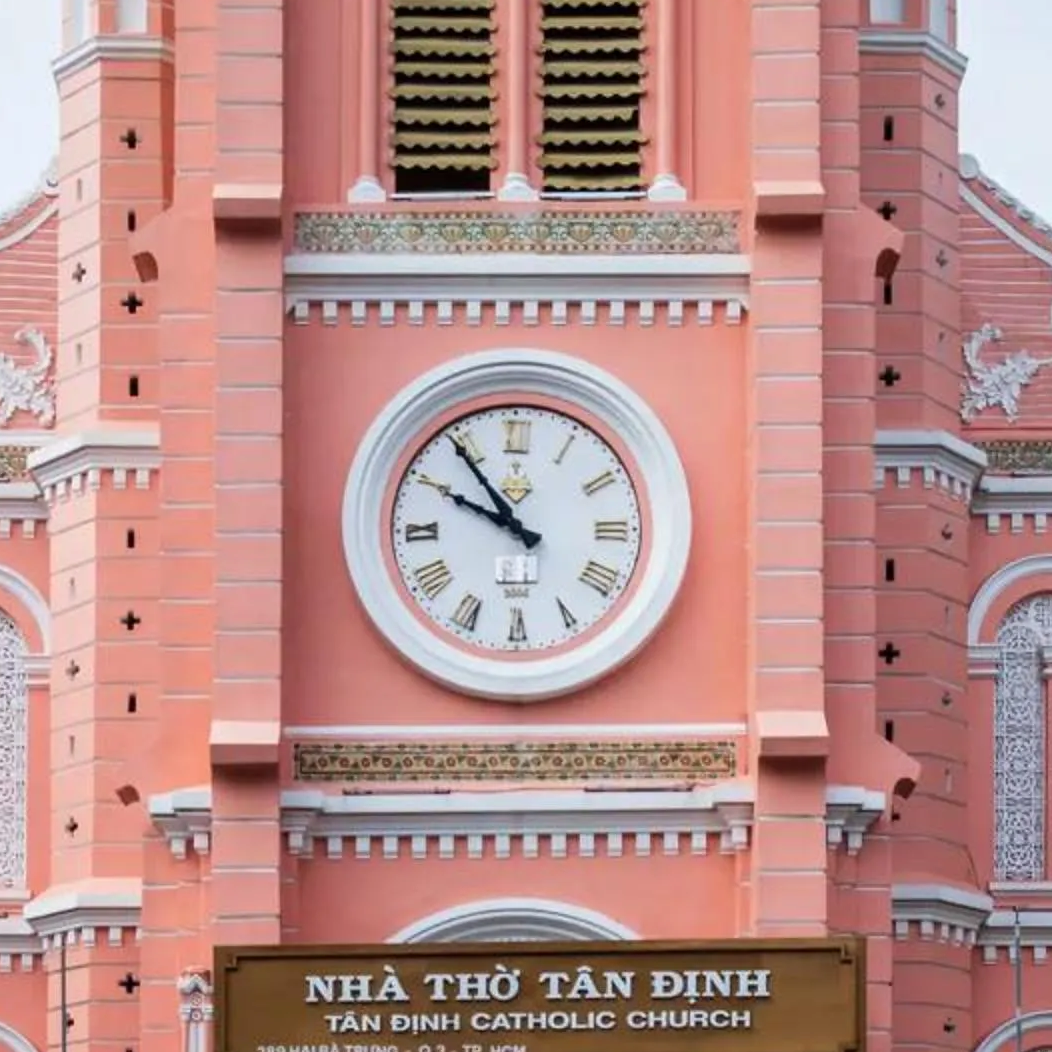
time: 9:54
